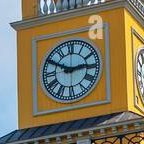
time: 2:49
